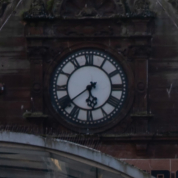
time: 5:38
